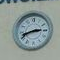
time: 2:42
